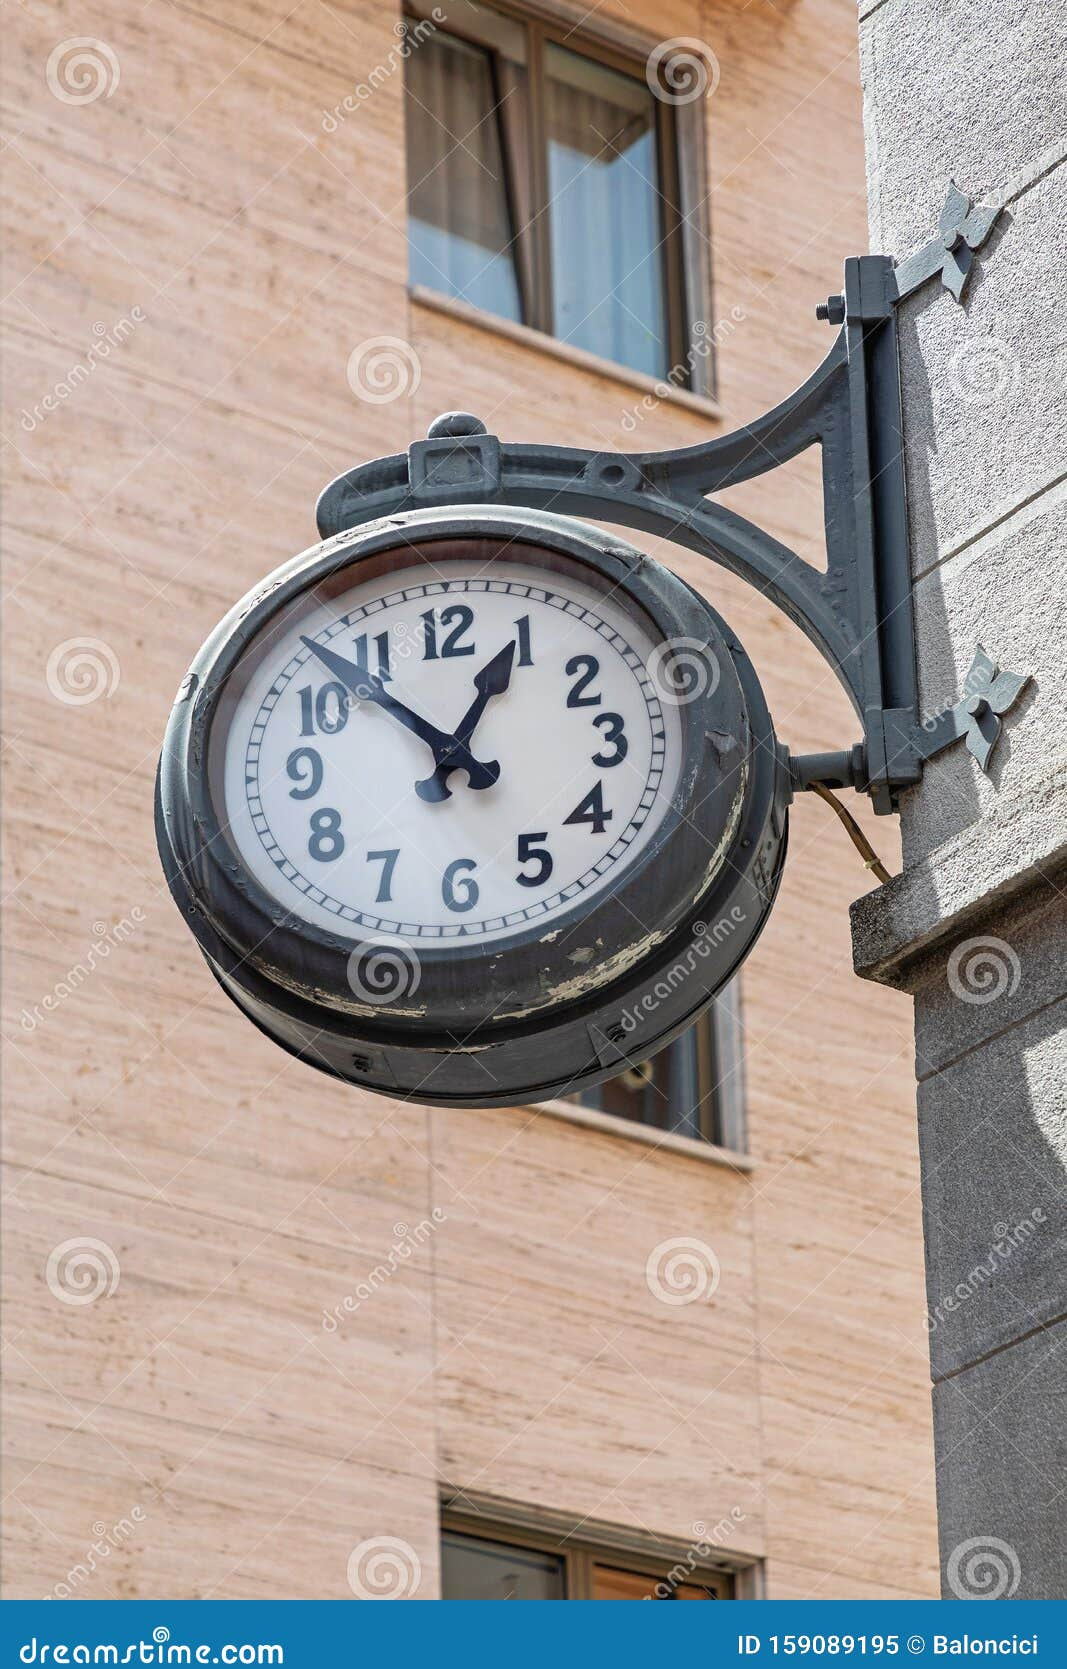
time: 12:52
